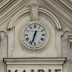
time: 12:33
